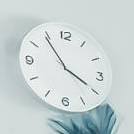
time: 3:54
